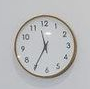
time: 11:35
